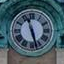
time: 11:27
